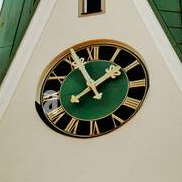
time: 1:55
